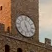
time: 5:26
